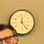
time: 12:23
